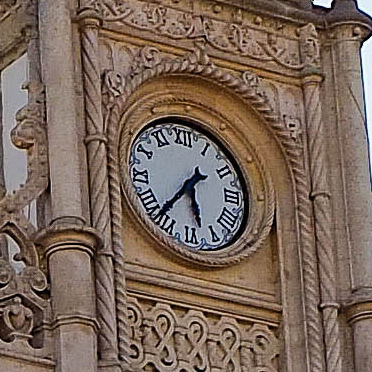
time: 5:37
